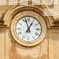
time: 12:57
